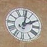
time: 2:01
